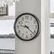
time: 9:22
